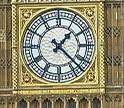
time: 1:22
